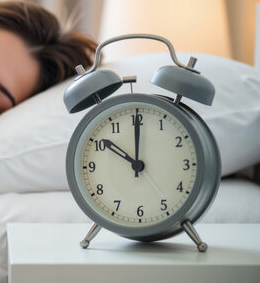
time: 10:00
